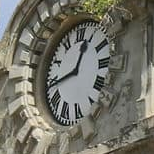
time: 12:43
